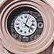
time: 4:02
